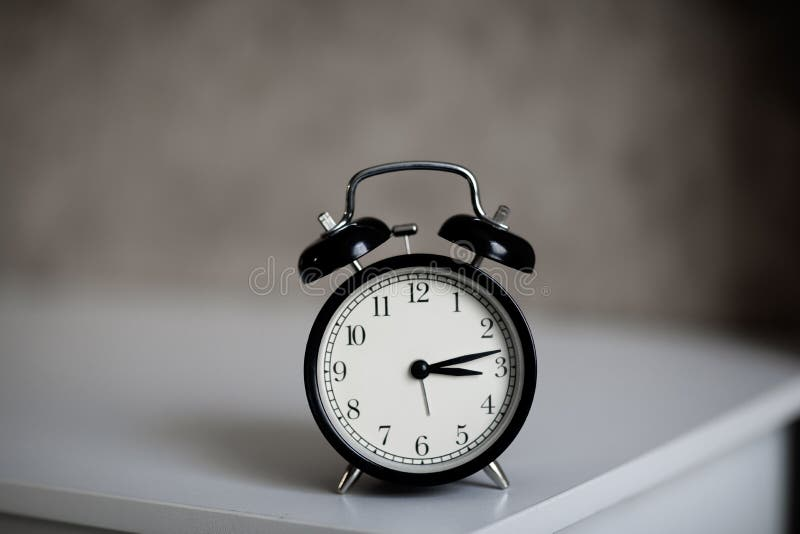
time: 3:13
